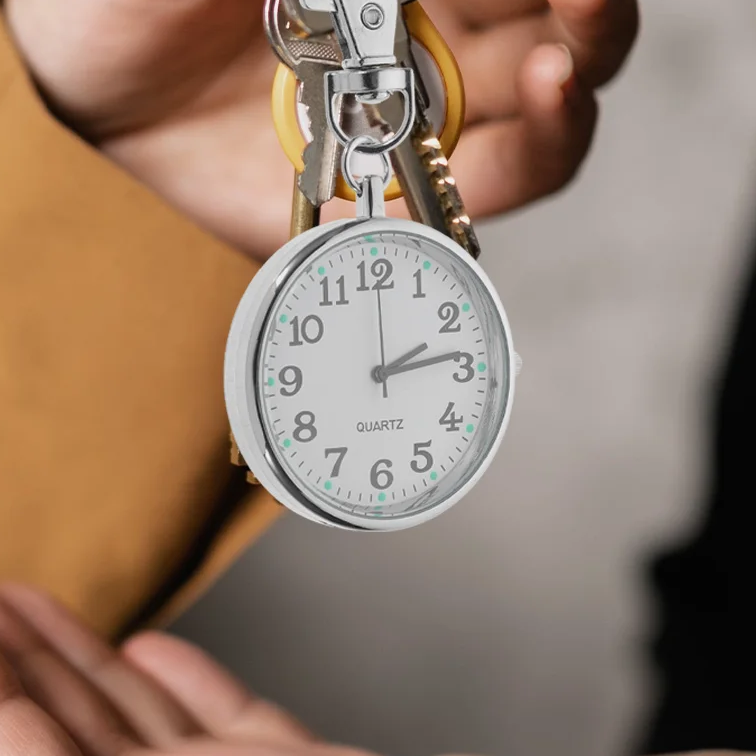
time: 2:13
